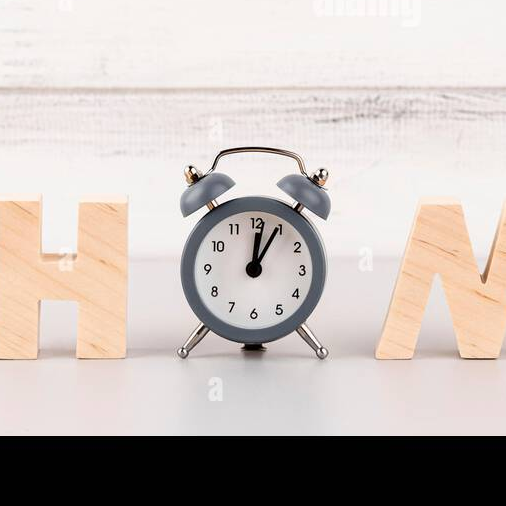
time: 12:04
